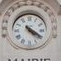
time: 4:20
